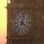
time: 4:02
